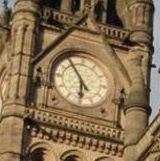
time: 5:54
